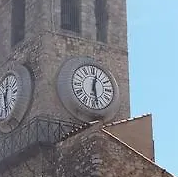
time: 12:28
